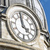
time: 3:58
